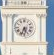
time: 5:33
